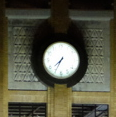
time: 7:34
